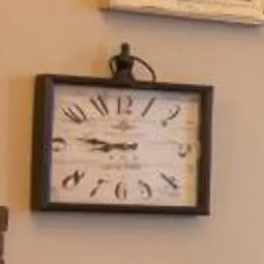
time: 8:46
